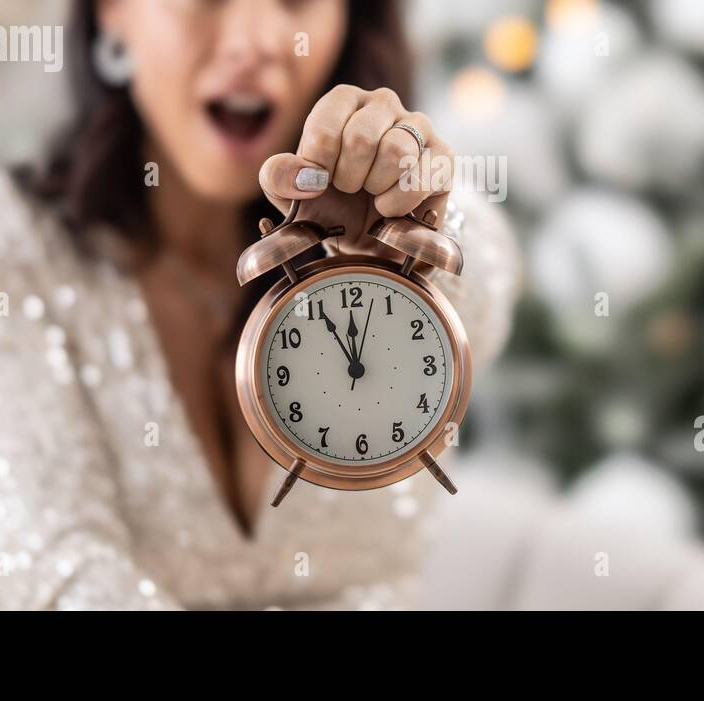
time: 11:55
